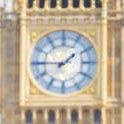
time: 1:45
